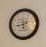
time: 5:42
